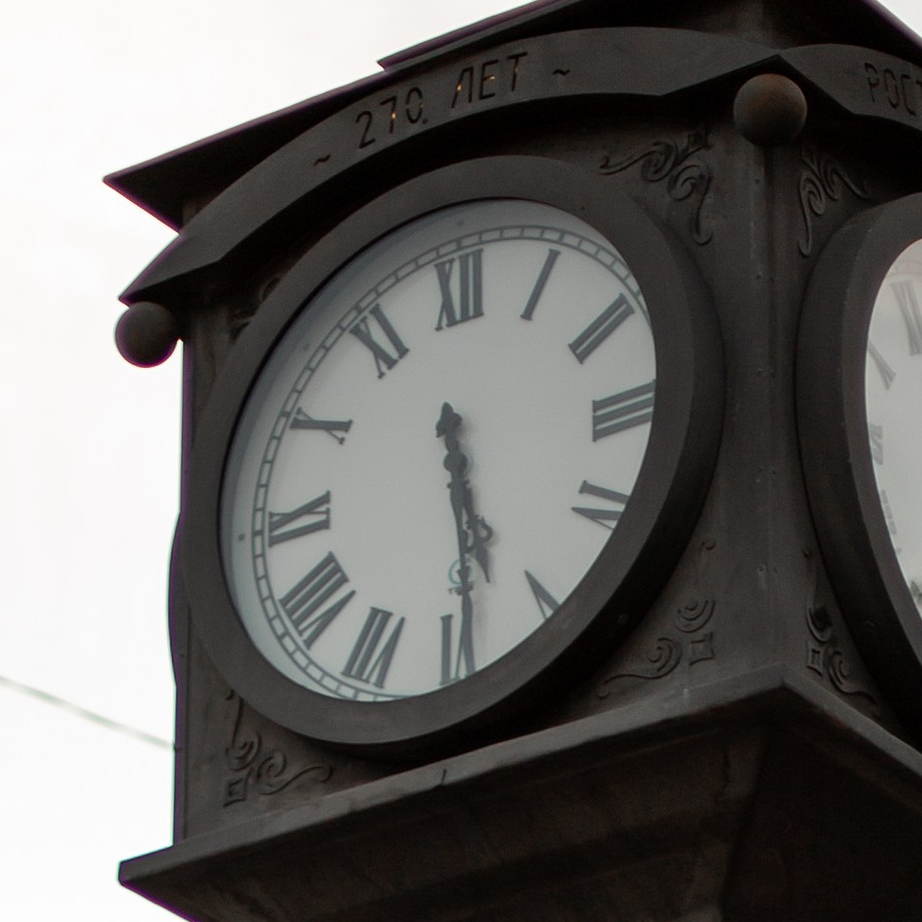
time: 5:29
